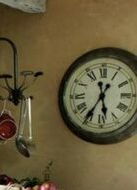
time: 5:35
